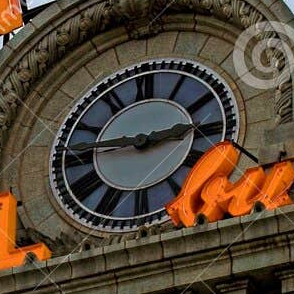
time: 2:45
